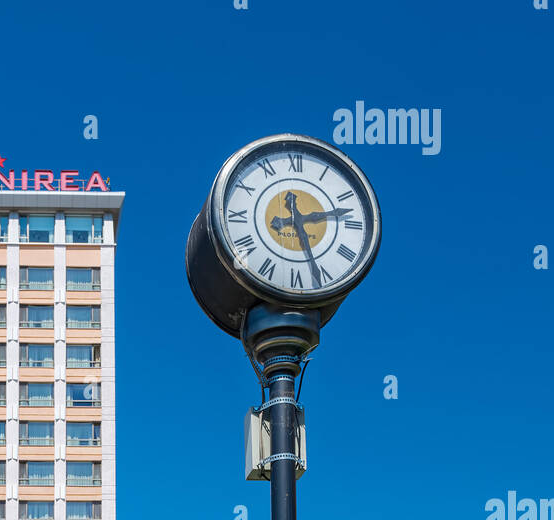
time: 2:26
